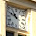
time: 10:50
